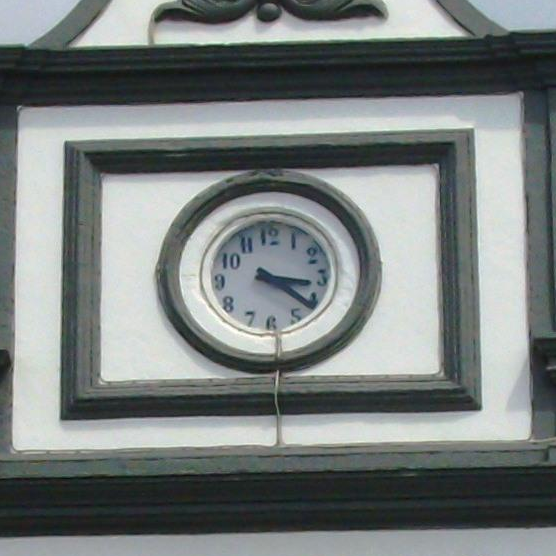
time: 3:21
